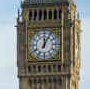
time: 12:05
